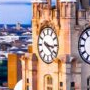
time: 3:22
